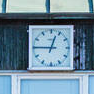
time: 12:45
